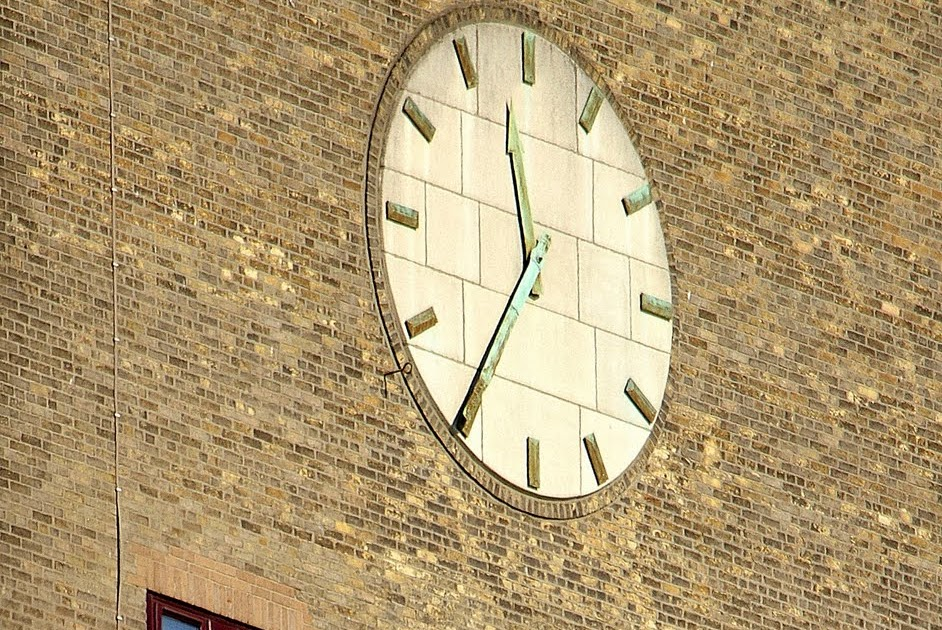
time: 11:35
